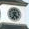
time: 4:34
